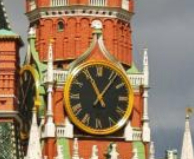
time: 11:06
